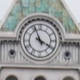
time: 3:56
